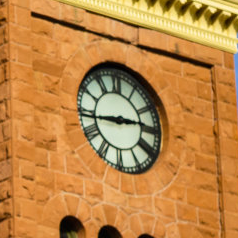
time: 2:43
